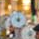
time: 9:01
